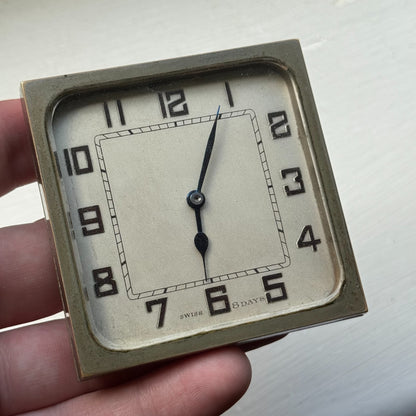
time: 6:04
